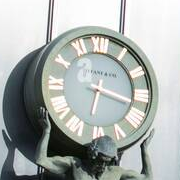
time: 6:17
